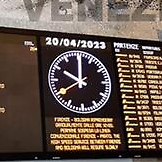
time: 10:00
